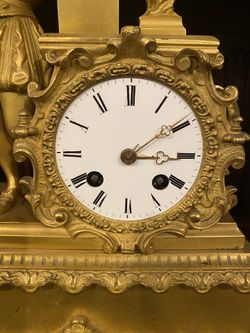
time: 3:09
